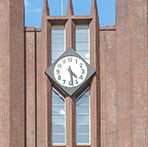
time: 4:28
